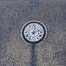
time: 12:12
